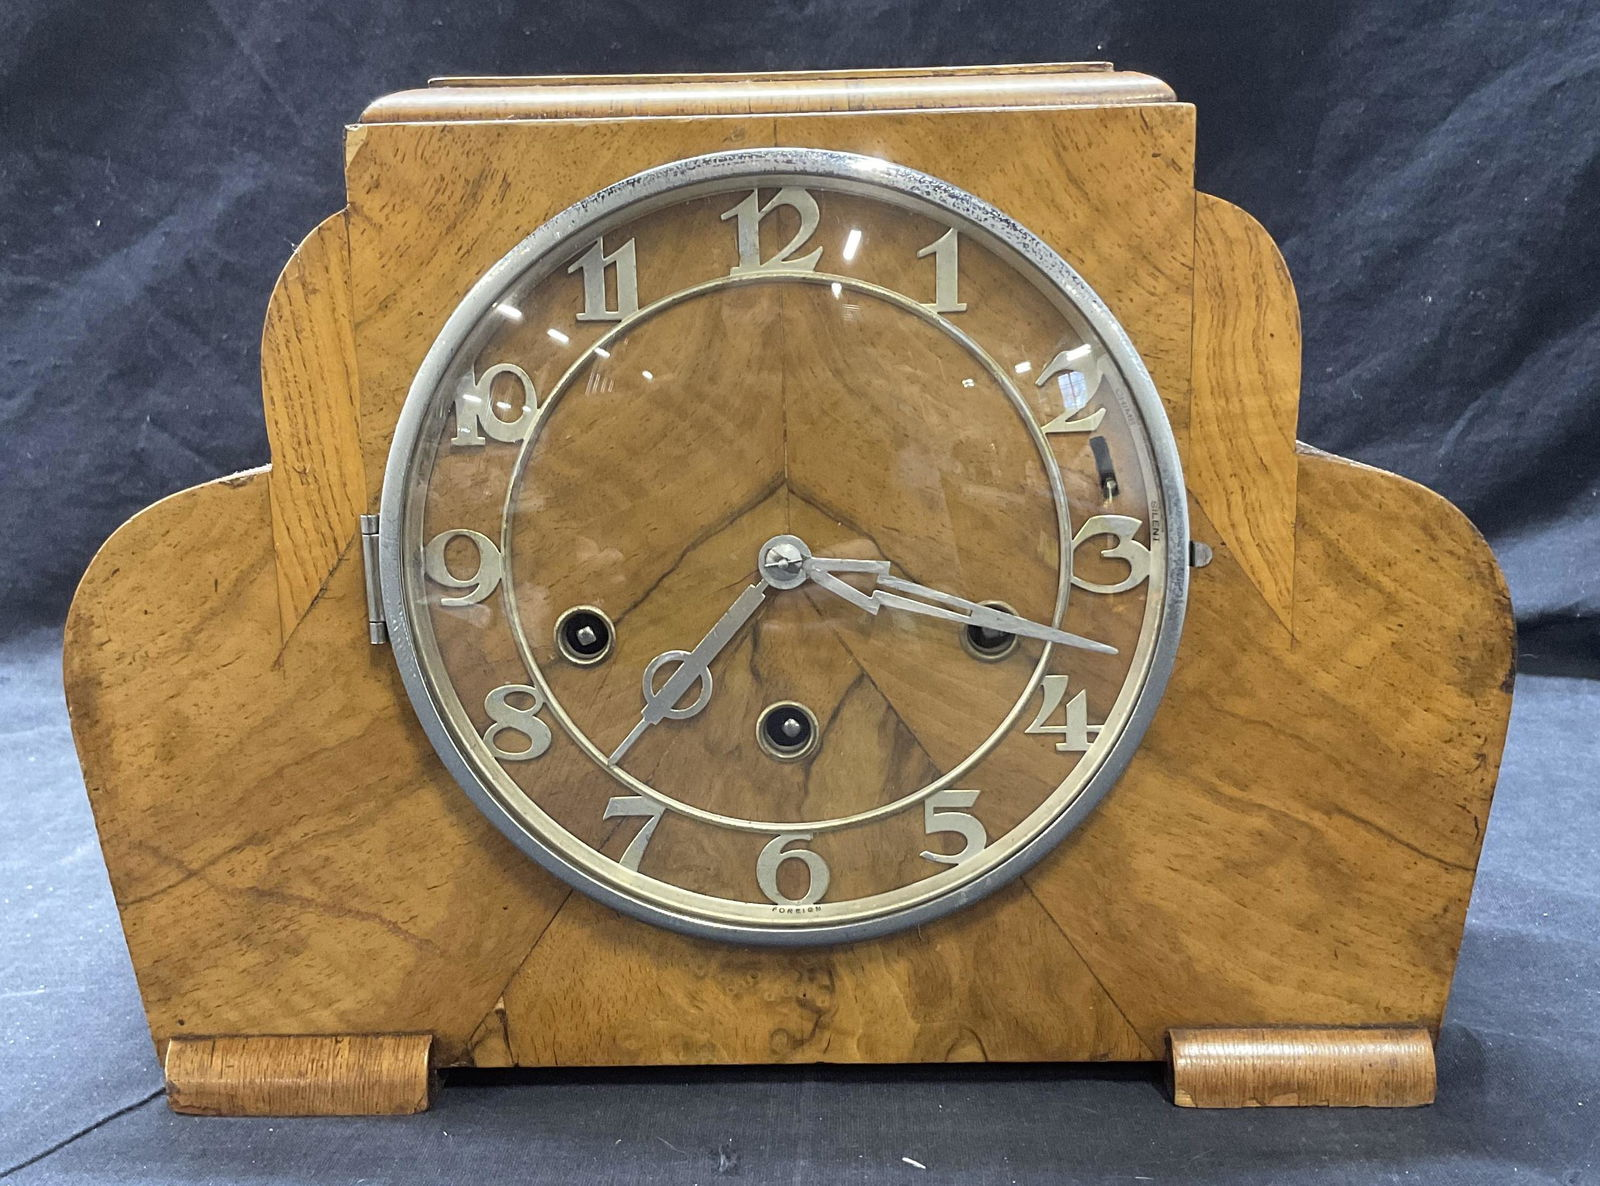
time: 7:18
